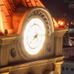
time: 2:38
